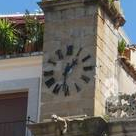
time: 1:31
